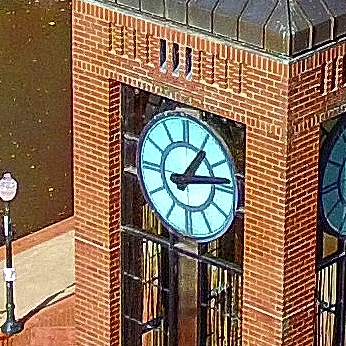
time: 1:13
